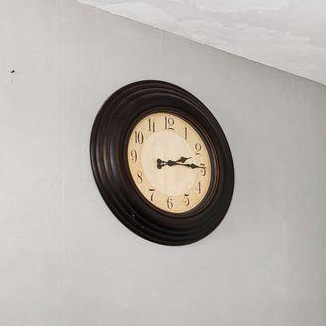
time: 2:14
